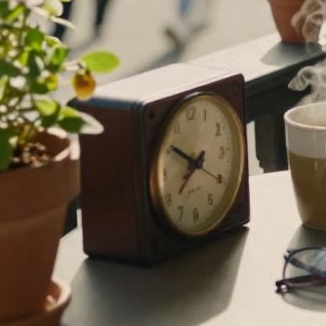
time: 7:50
